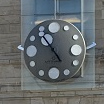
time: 4:53
